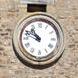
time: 10:48
